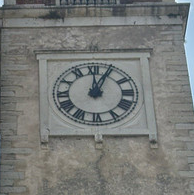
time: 12:04
